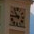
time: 10:45
